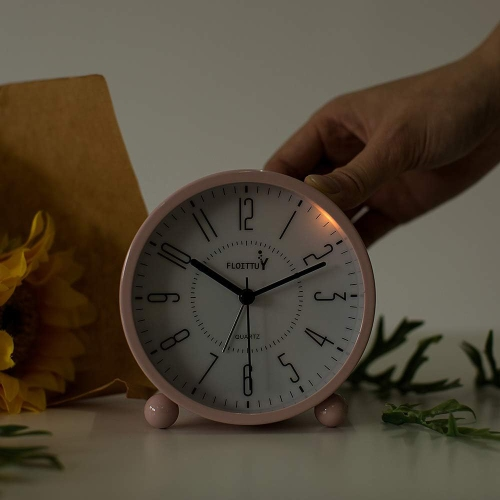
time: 10:11
